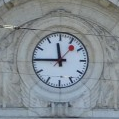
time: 11:45
